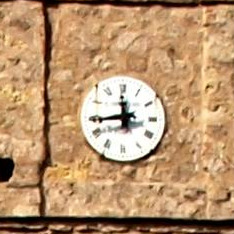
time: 11:43
